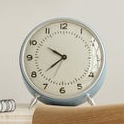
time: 7:50
